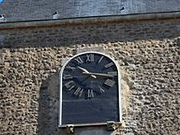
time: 10:14
